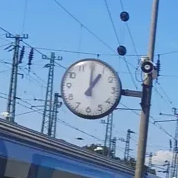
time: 1:00
